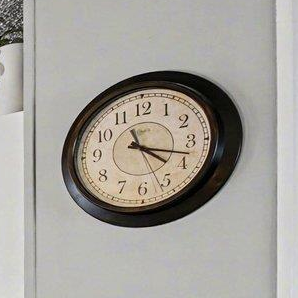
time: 4:17
